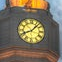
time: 8:07
